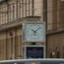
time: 10:07
